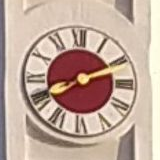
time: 8:11
